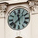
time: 11:37
